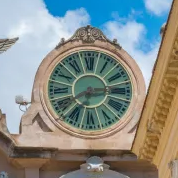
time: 2:38
